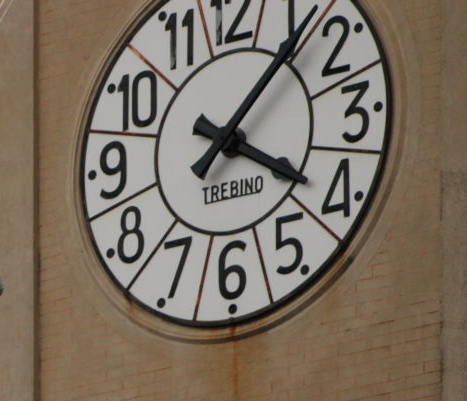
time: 4:07
